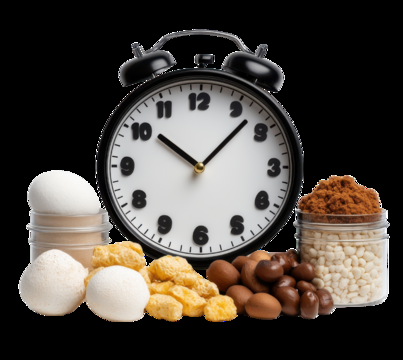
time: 10:07
